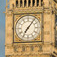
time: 7:06
